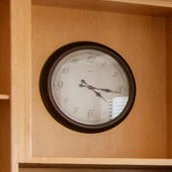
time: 4:16
